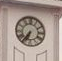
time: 6:36
